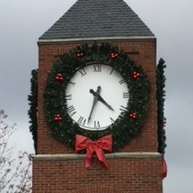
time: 4:33
